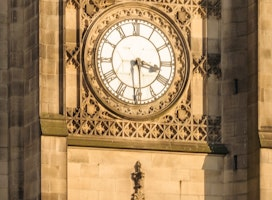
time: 3:29
